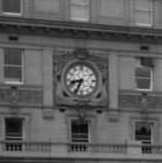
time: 8:34
